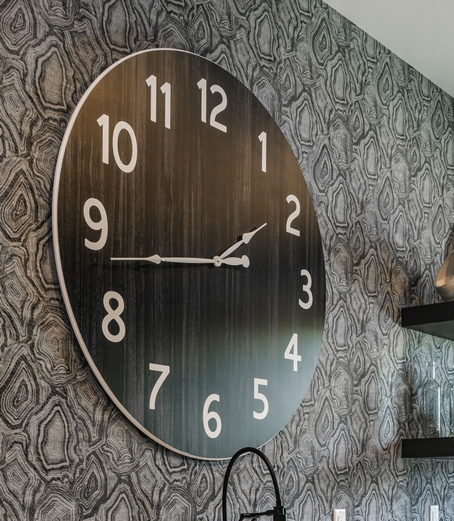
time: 1:43
